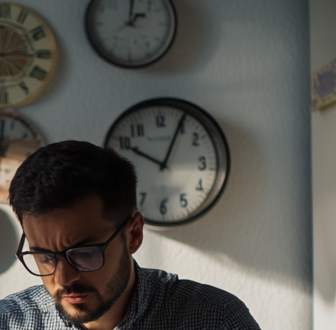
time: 10:04
